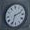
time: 2:33
